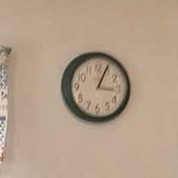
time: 3:04
